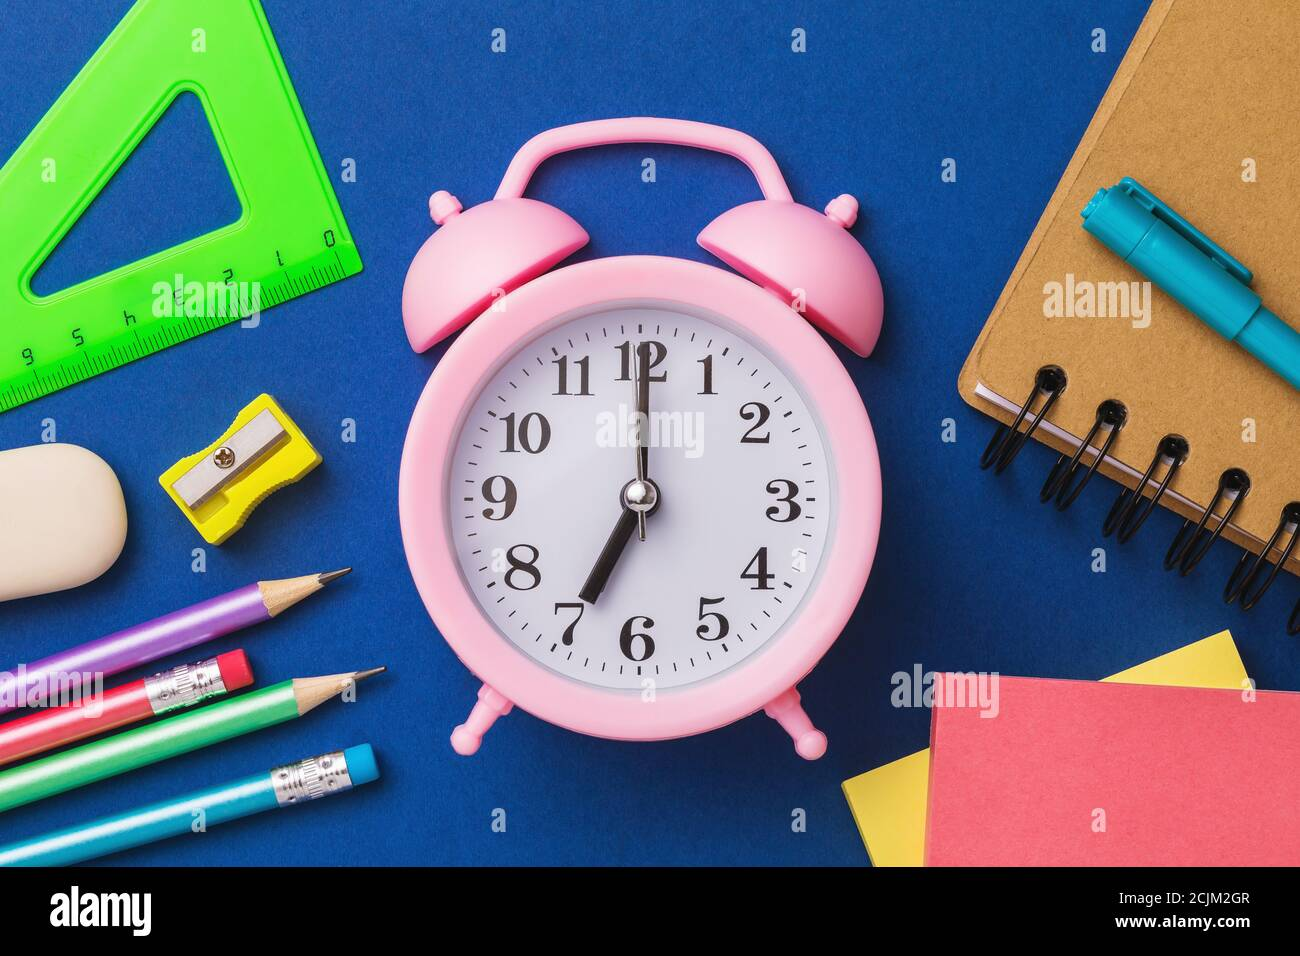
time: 7:00
